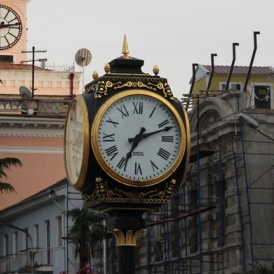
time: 7:11
